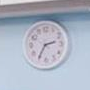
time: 2:35
